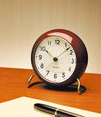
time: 10:07
